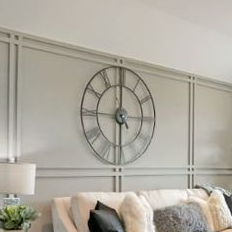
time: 5:59
